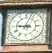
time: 9:03
